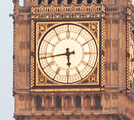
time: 5:43
